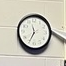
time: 11:34
